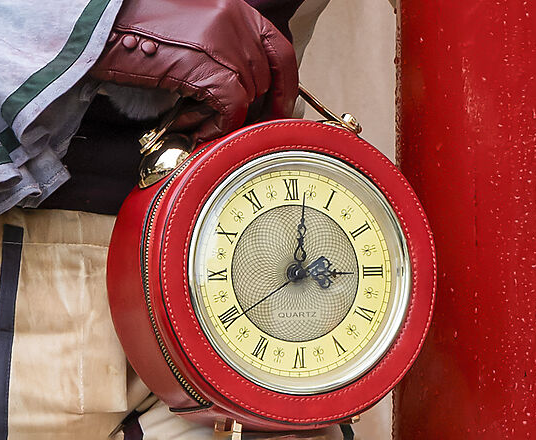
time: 3:01
